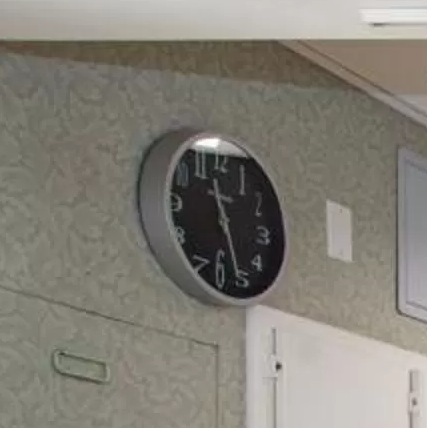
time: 11:26
